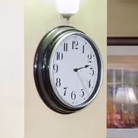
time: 2:23
